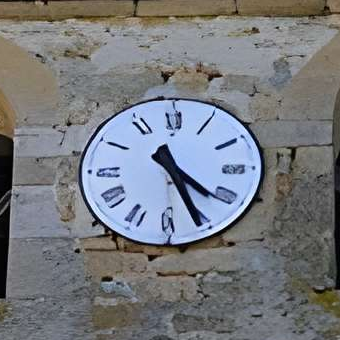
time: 4:26
